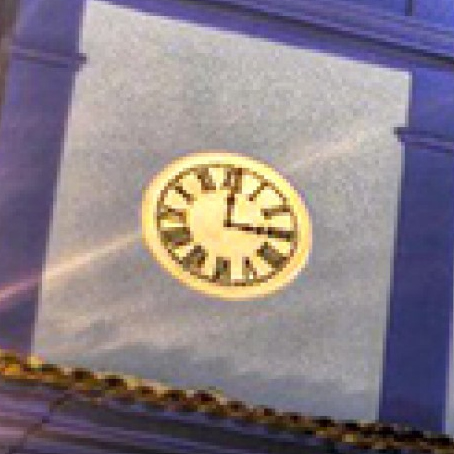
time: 3:00
